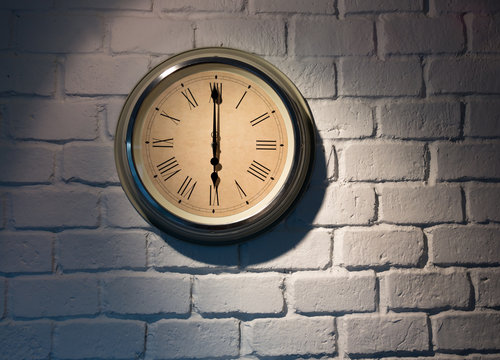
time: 5:59
